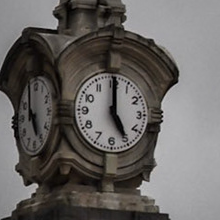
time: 5:00
